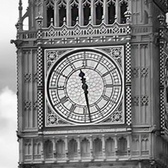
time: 11:28
